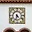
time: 4:33
